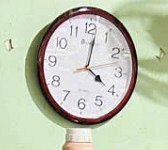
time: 4:01
